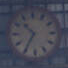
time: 10:35
